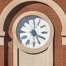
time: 4:00
